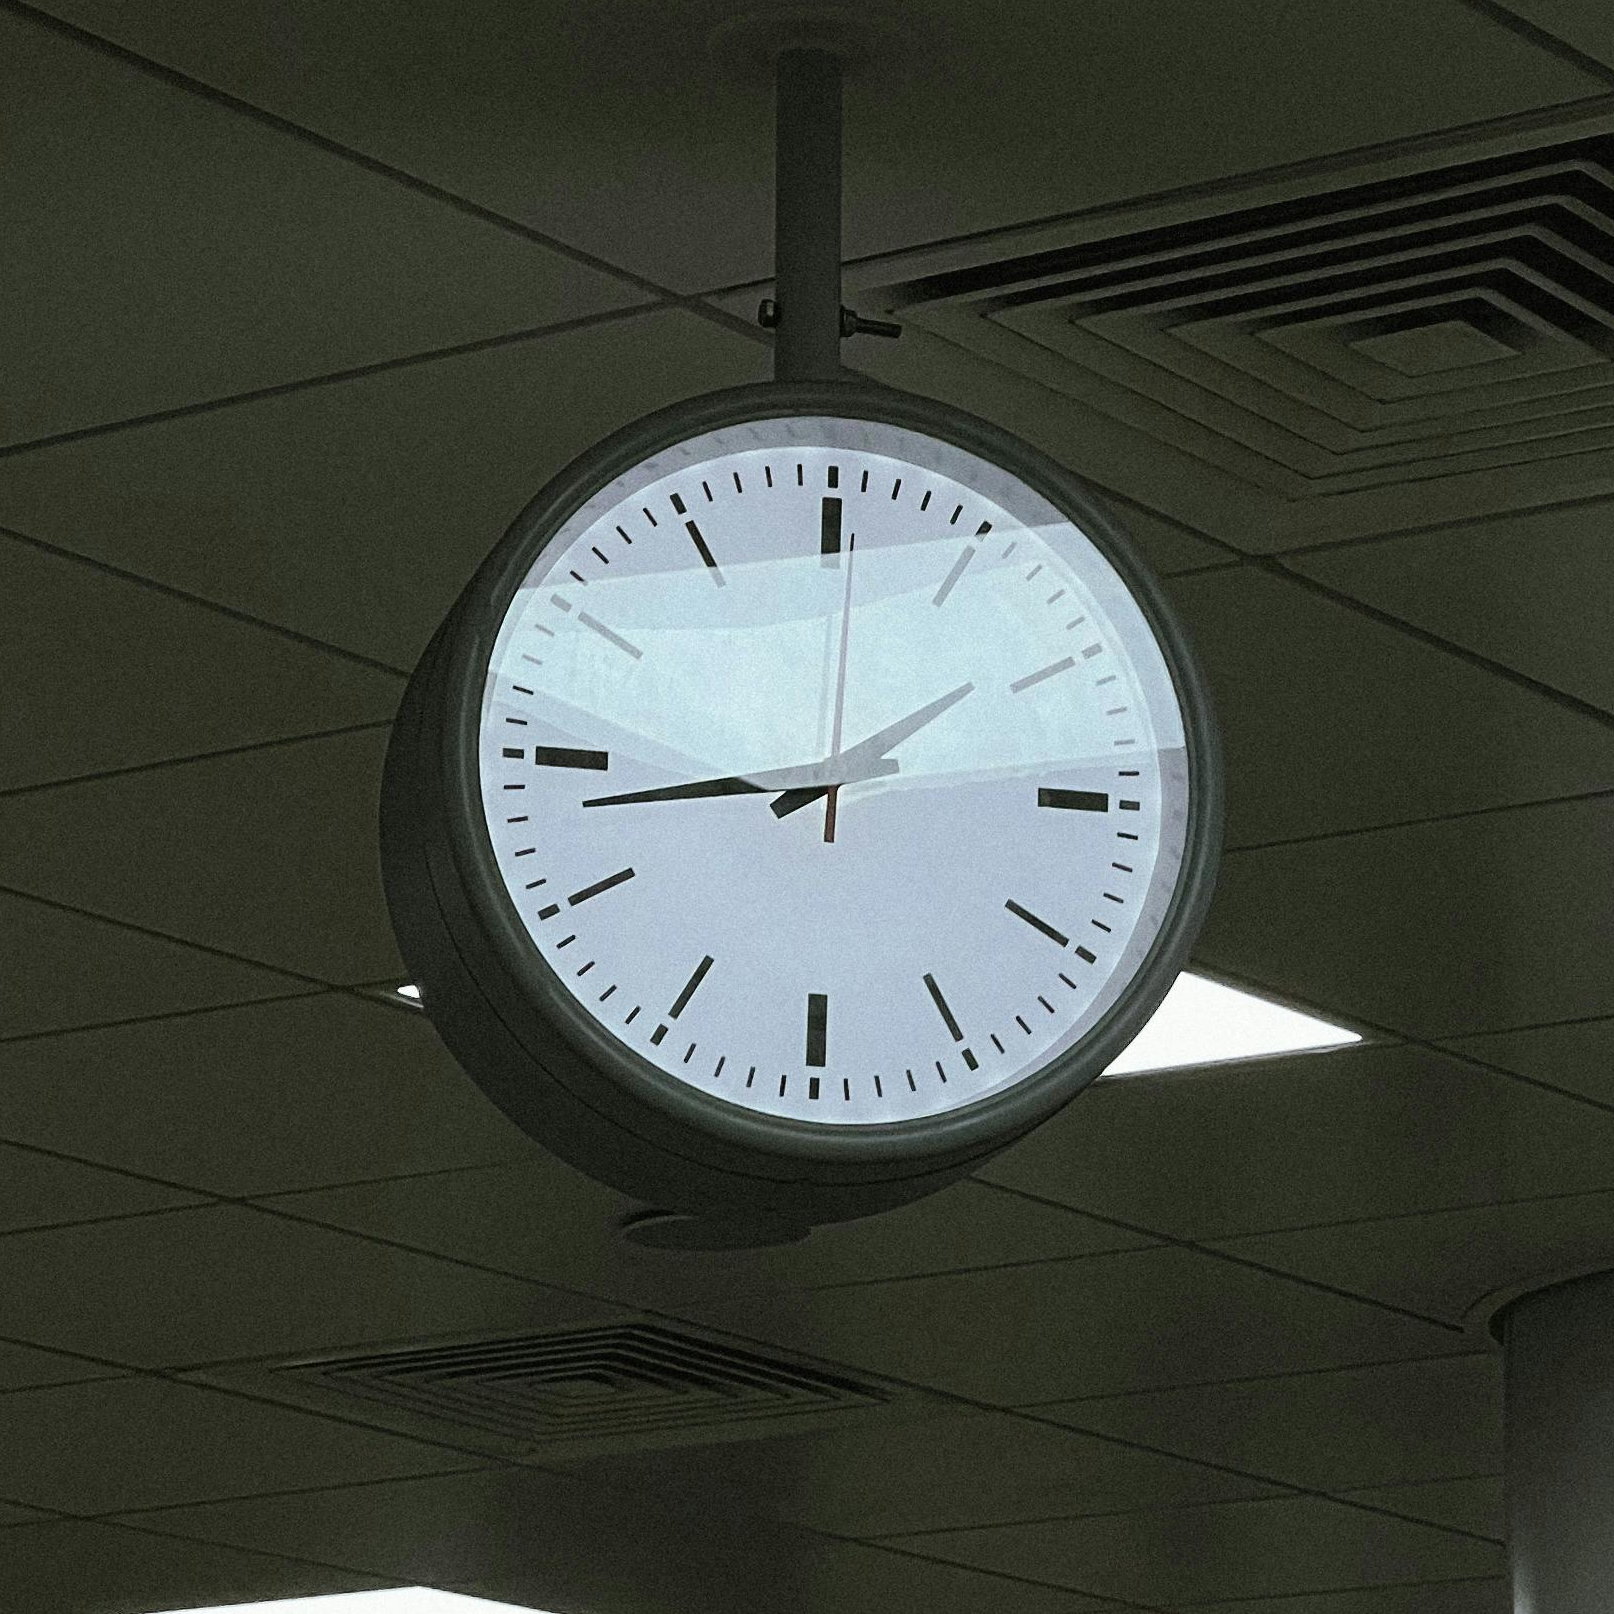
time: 1:43
